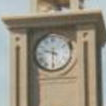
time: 9:30
